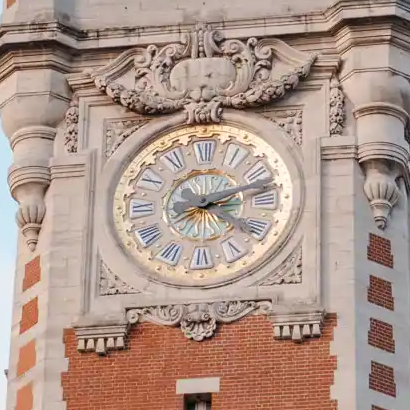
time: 3:12
